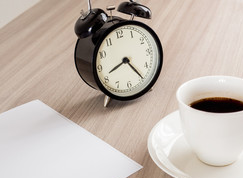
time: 8:24
